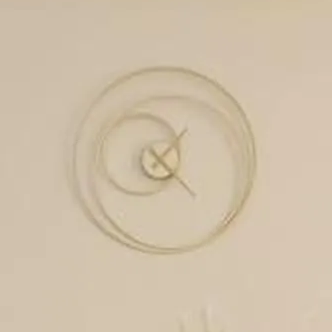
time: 4:07
